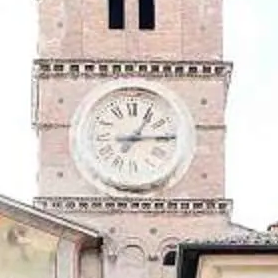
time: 1:14
